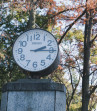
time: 2:15
